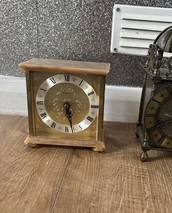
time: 5:28
